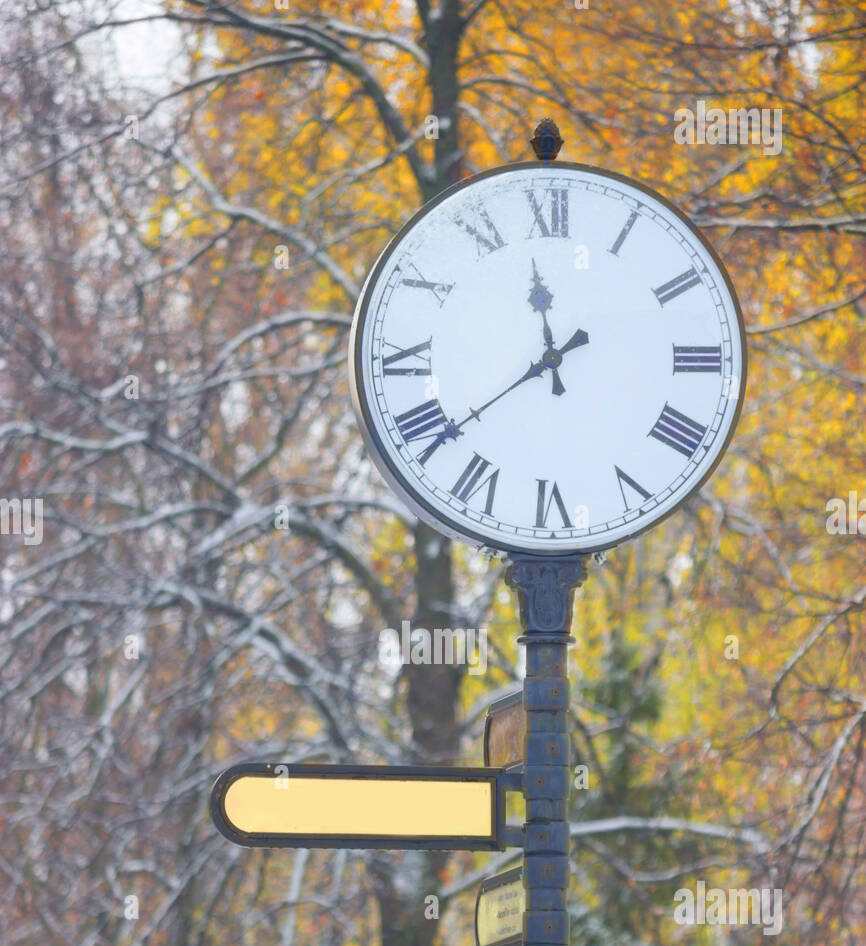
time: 11:38
